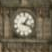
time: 1:18
